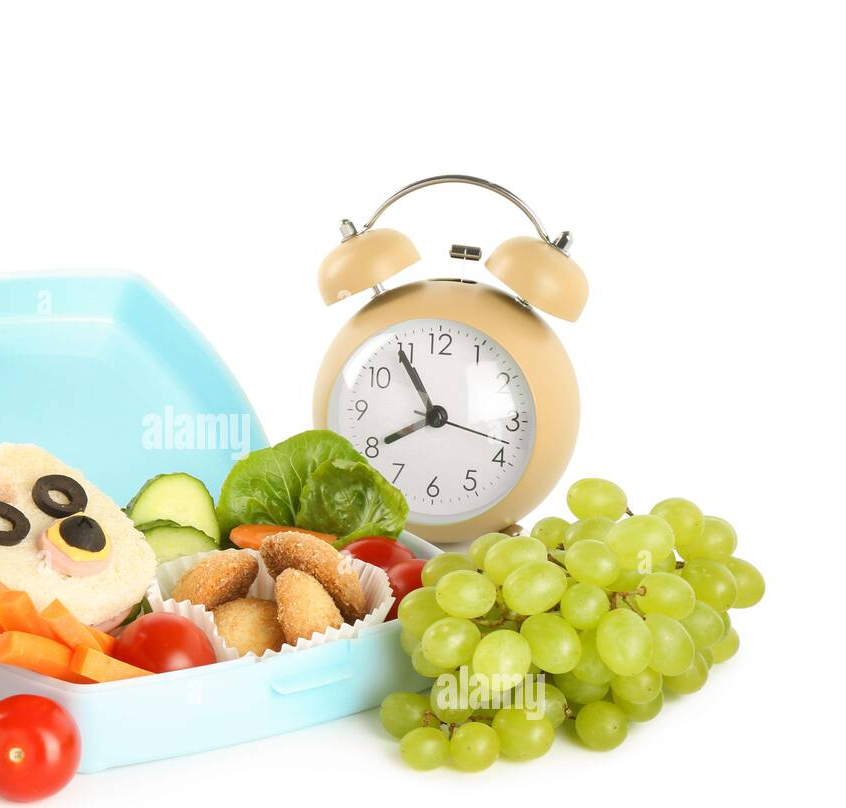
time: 7:54
